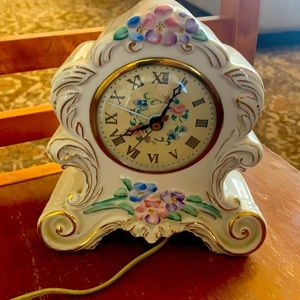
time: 8:04
